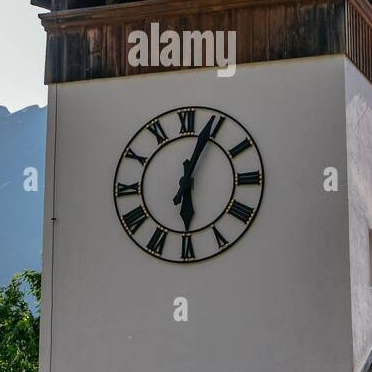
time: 6:03
